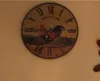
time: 2:35
